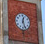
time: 12:26
